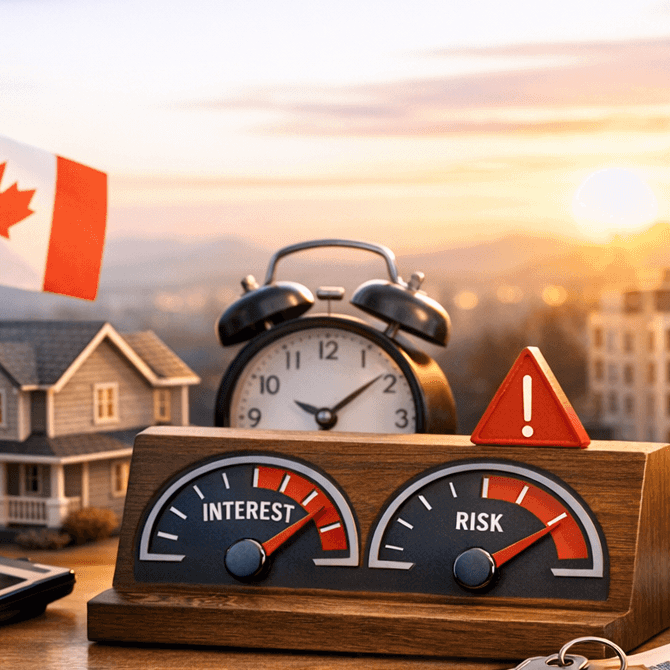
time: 10:08
